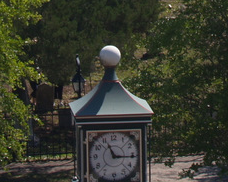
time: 11:16
